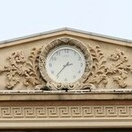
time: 2:36
